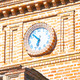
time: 6:52
